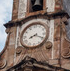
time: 8:19
